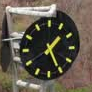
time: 1:25
